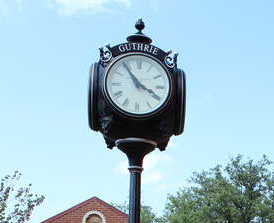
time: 3:54
